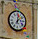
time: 12:07
